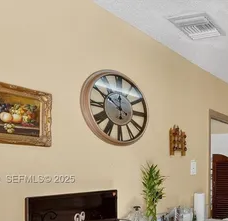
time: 11:50
